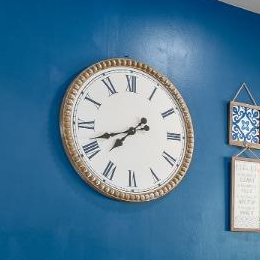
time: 7:41
